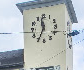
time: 11:34
